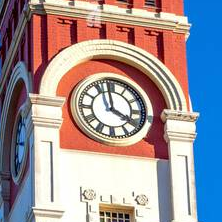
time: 3:58
